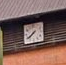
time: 7:38
